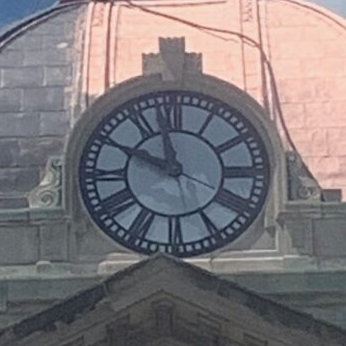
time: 9:57
